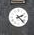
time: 2:22
